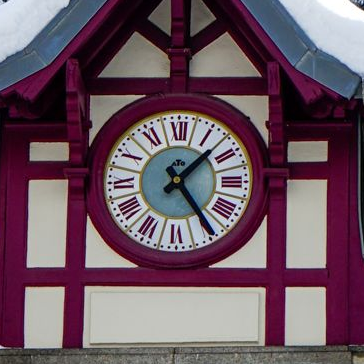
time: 1:24
